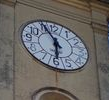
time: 5:55
